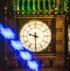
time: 9:30
